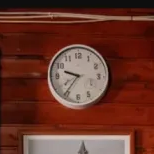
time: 9:36
